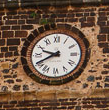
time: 9:40
